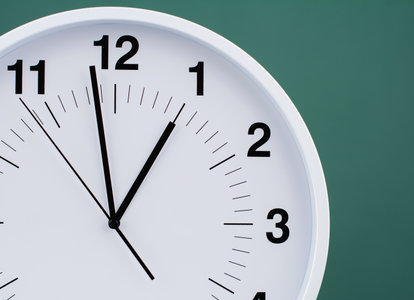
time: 12:58
